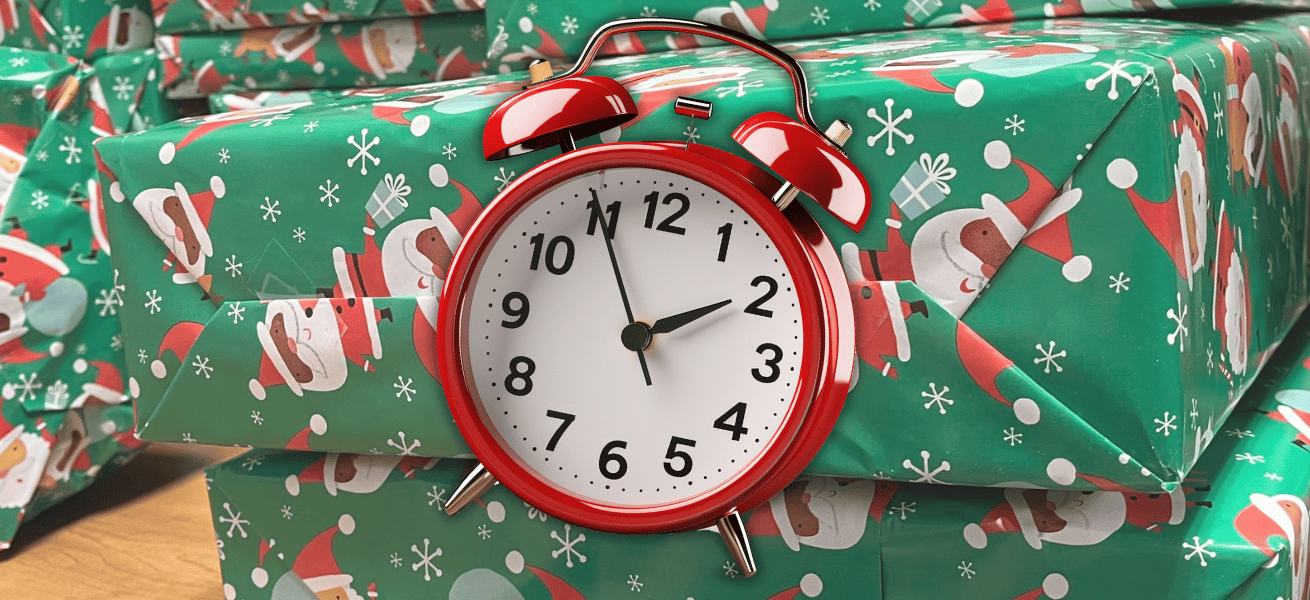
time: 1:55
